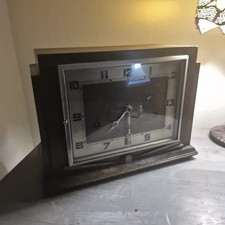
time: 7:39
